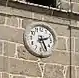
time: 2:25
